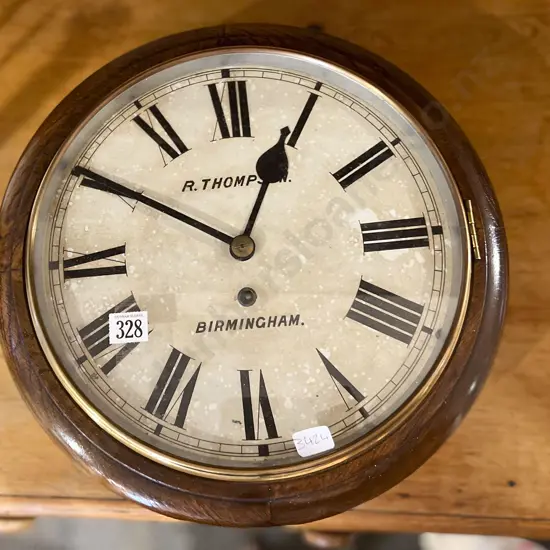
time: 12:50
